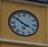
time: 3:50
